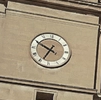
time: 6:49
